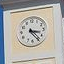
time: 3:23
